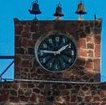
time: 1:46
